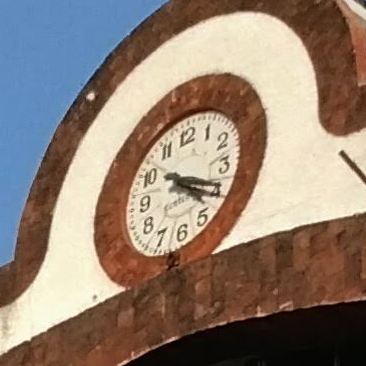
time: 4:19
